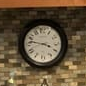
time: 3:46
